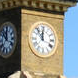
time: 11:53
